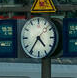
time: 4:36
